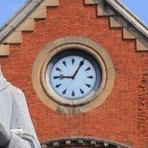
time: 9:05
